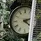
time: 2:18
